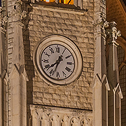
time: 7:33
